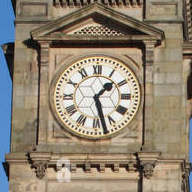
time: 1:27
